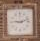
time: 9:12
